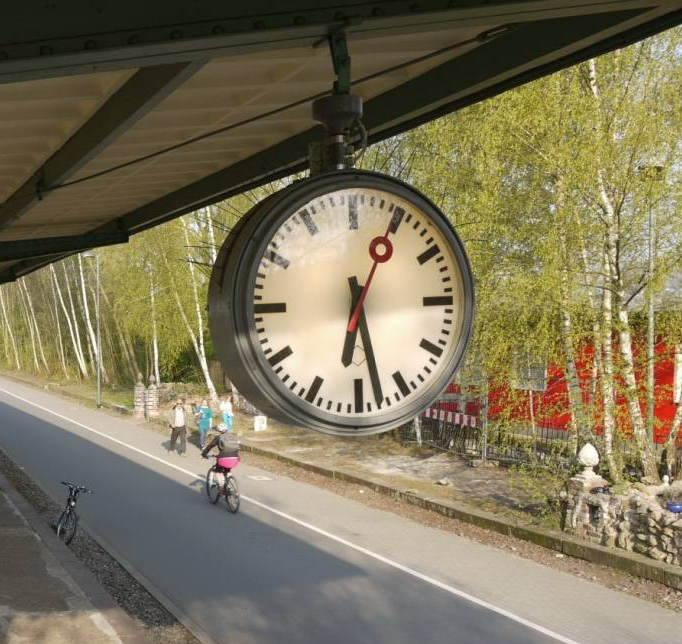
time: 6:27
